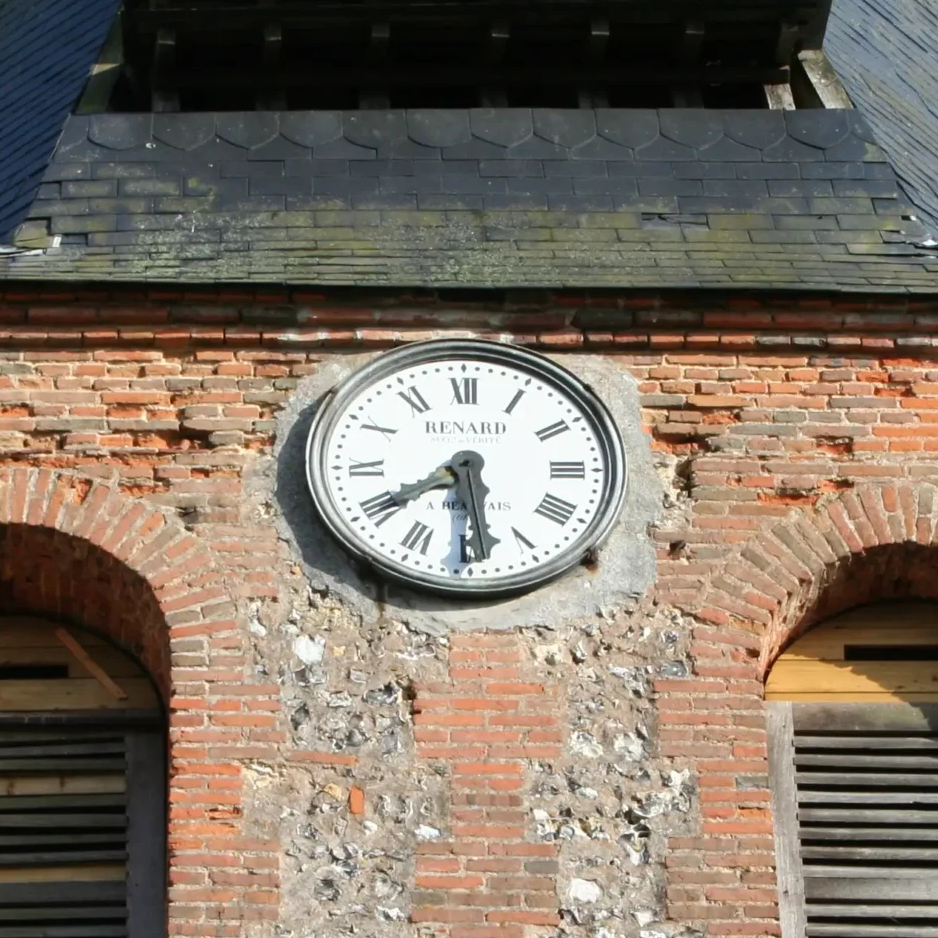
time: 5:40
